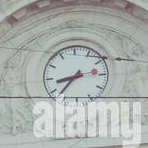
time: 8:37
